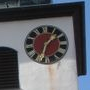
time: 1:32
